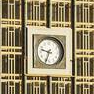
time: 9:33
